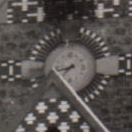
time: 7:42
